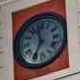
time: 11:35
